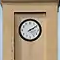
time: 2:09
